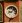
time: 8:07
